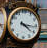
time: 4:16
